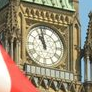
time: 10:58
